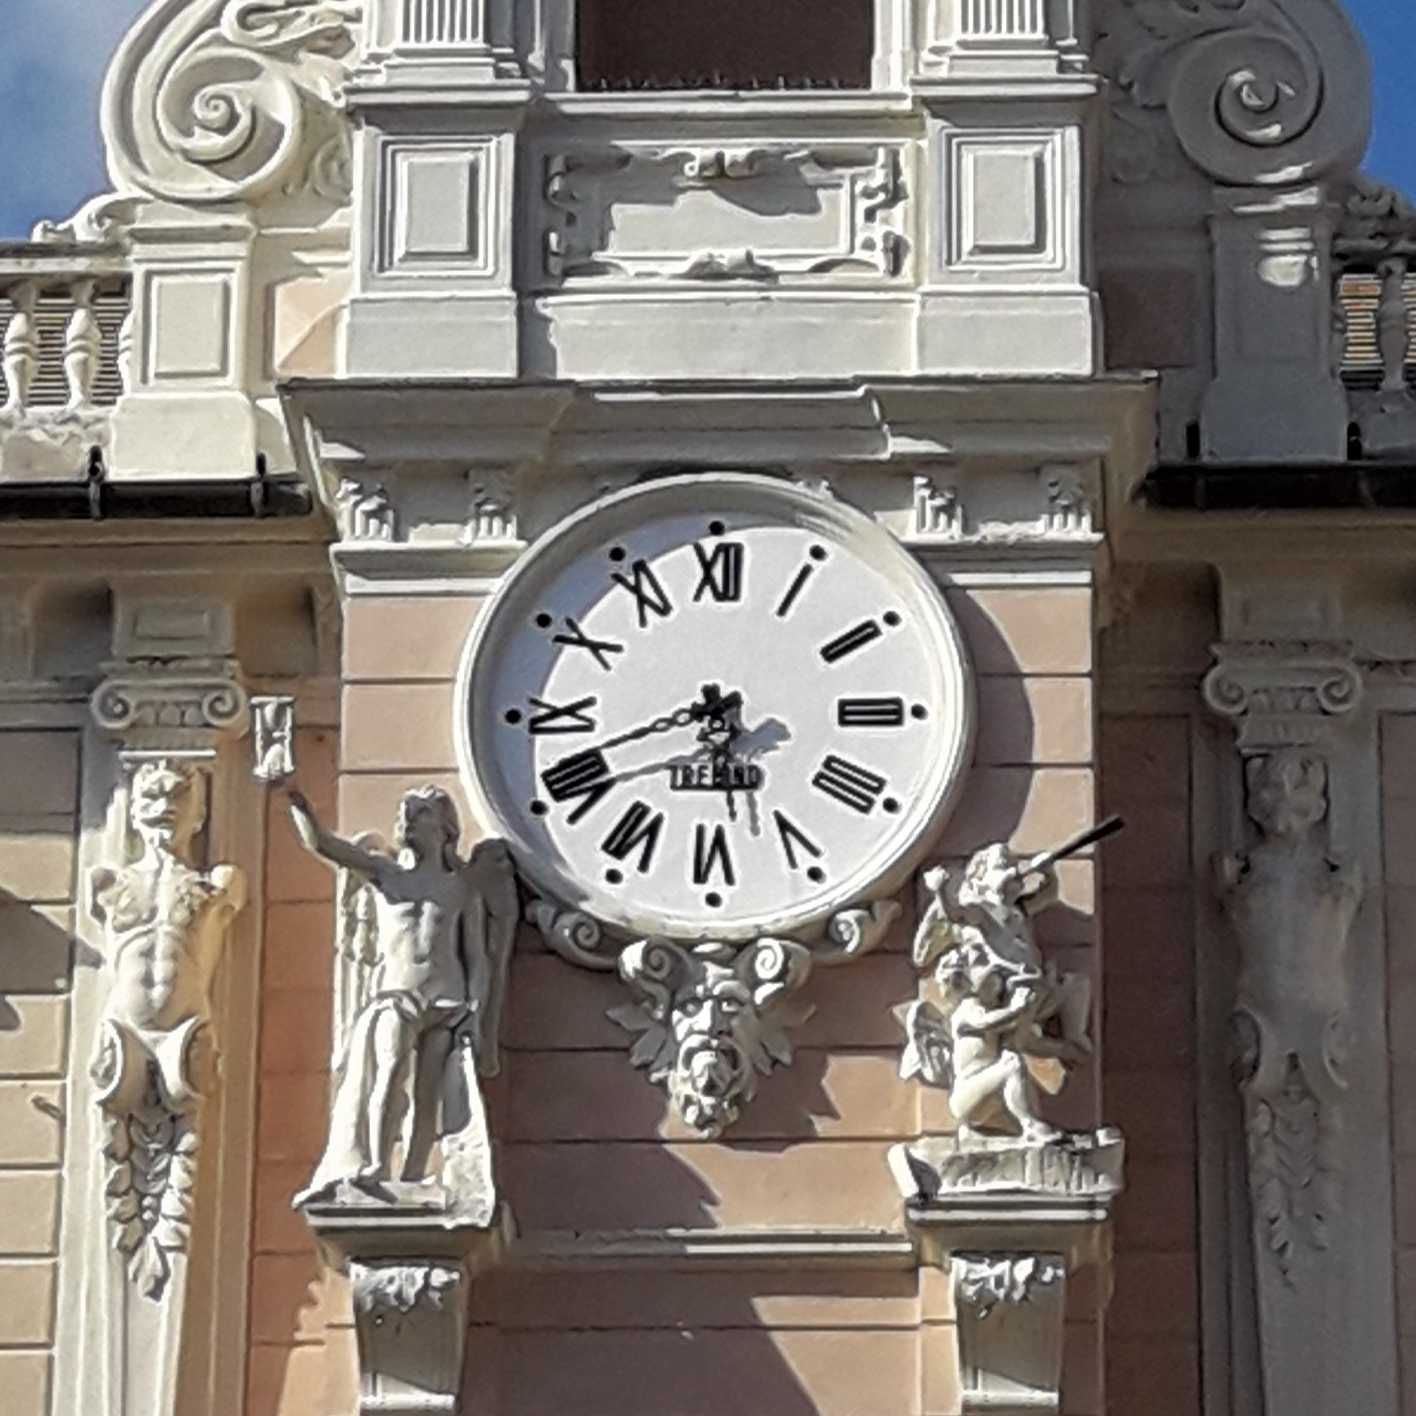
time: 5:41
